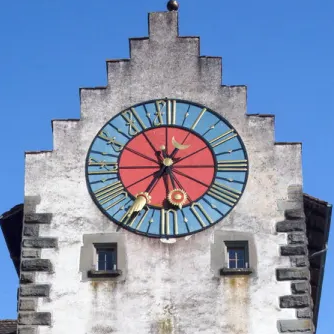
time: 5:35
